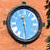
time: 11:28
